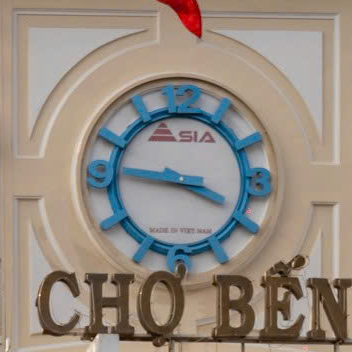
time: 3:46
